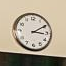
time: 3:09
